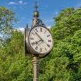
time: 7:52
